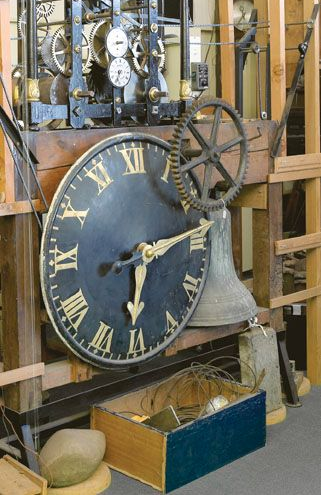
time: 6:13
